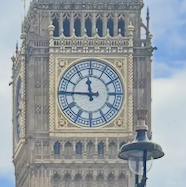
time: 11:45
